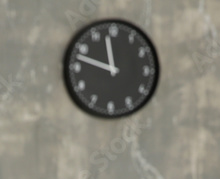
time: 11:47
